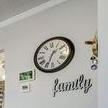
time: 1:33
